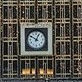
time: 12:49
